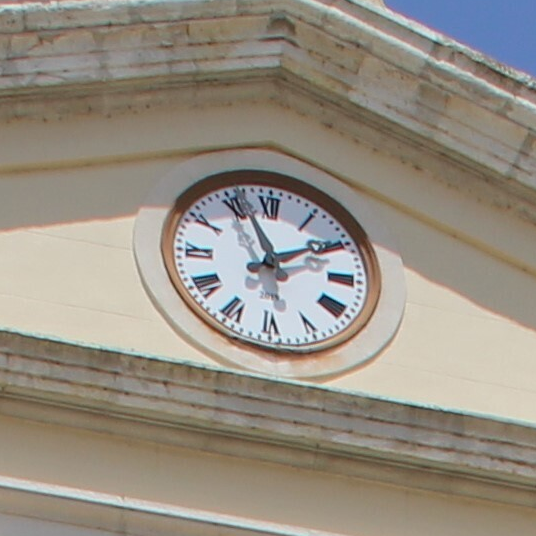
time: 1:56
